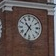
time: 10:35
